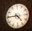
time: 4:44
